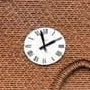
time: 1:57
